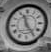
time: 11:24
